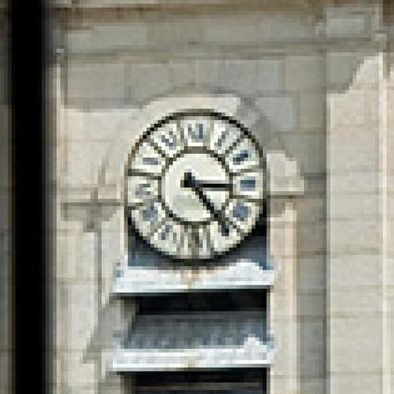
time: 3:23
